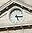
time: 5:15
